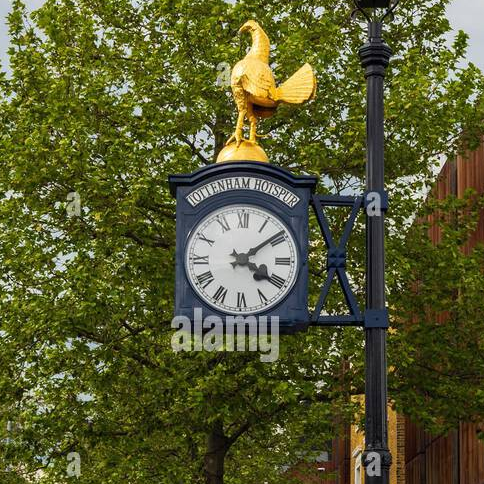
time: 4:08
